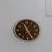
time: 11:25
